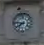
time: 7:46
